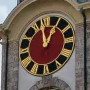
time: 12:58
